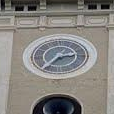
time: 2:36
